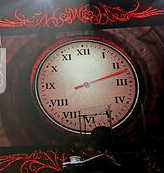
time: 8:12
